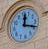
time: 12:18
